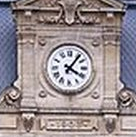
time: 4:06
